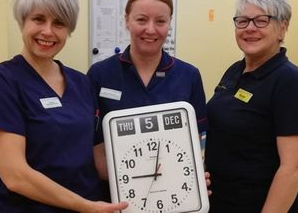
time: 9:02
